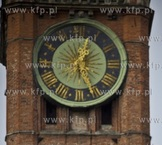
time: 12:26
